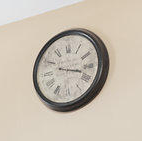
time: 3:17
